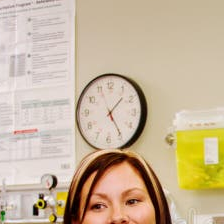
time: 1:24
